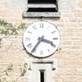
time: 3:35
